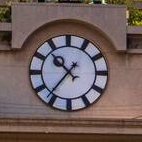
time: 10:36
